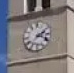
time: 2:18
